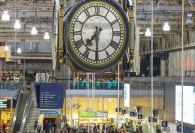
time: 7:30
